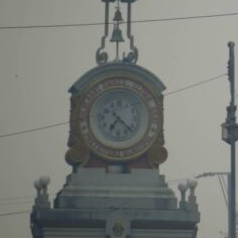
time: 7:22
